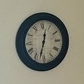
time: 12:32
